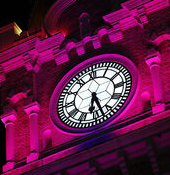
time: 6:27
